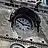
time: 2:50
